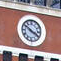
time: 3:50
